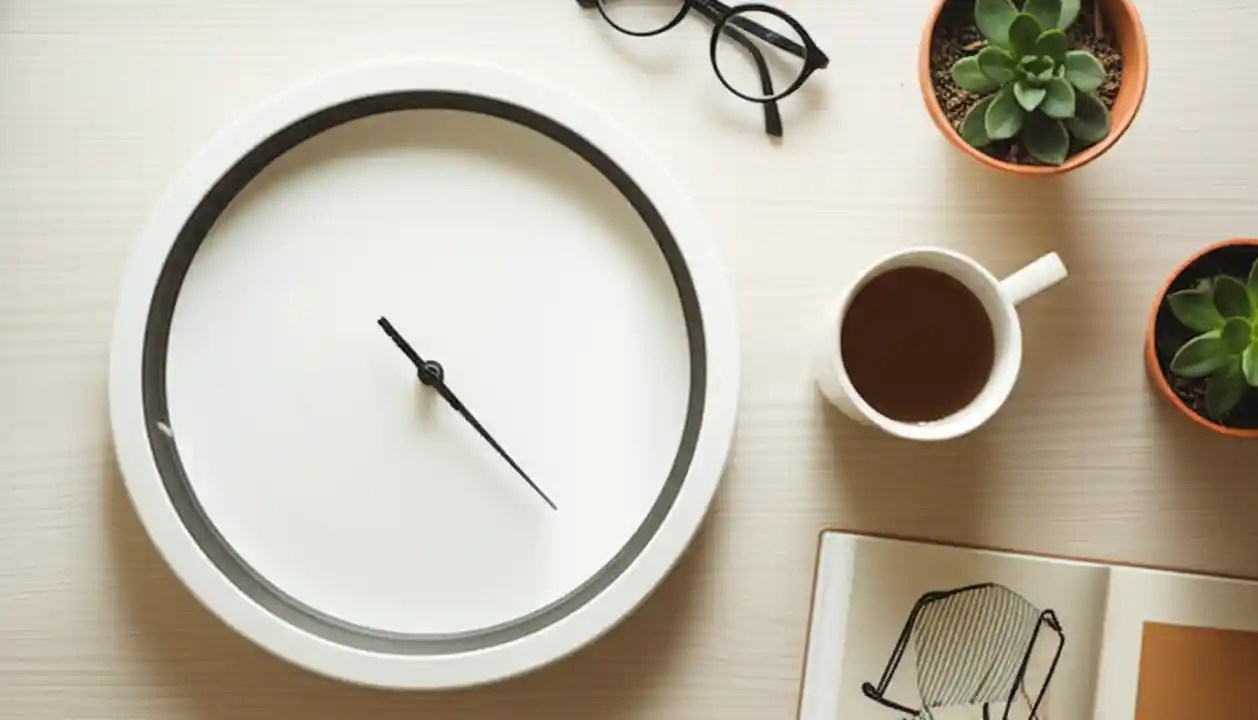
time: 4:22
